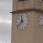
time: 11:37
